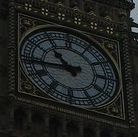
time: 10:43
